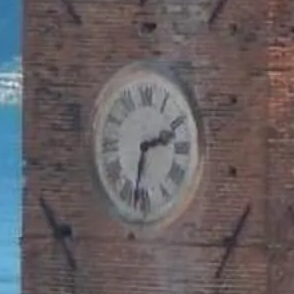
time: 2:32
